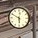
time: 5:49
